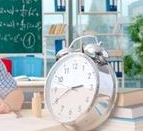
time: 2:40
